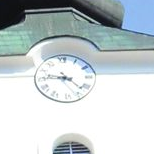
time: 9:22
